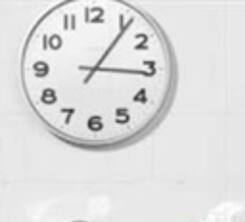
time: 3:06
